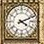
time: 4:11
